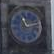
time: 11:12
